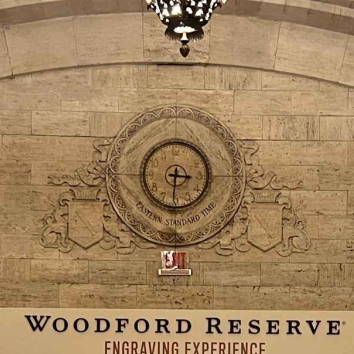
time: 3:30
